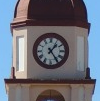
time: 1:24
